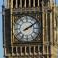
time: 2:09
